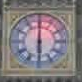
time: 6:00
